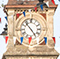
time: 4:52
